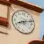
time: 8:12
